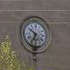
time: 6:50
